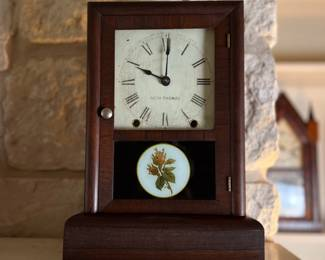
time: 10:00
